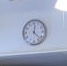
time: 12:22
